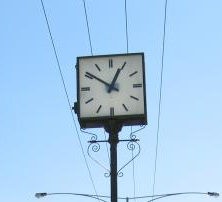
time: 12:50
